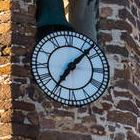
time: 7:07
